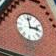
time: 2:57
